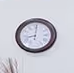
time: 9:01
